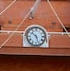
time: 10:26
